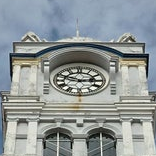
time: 2:48
